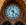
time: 6:21
